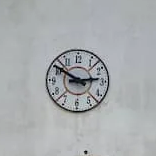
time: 2:50
